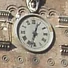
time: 12:32
